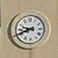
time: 9:41
